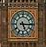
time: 5:15
